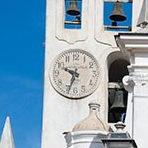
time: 9:33
